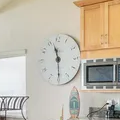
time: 11:29
